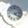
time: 4:12
